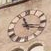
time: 11:17
